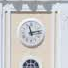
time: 11:13
